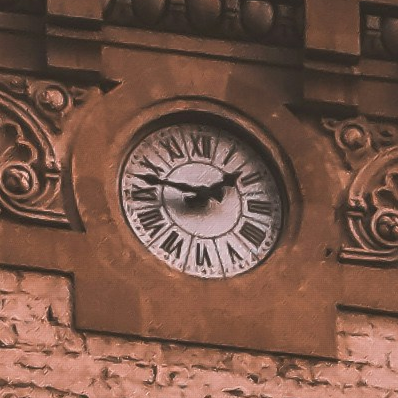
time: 1:46
